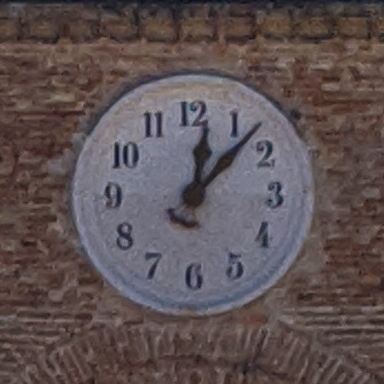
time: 12:07
